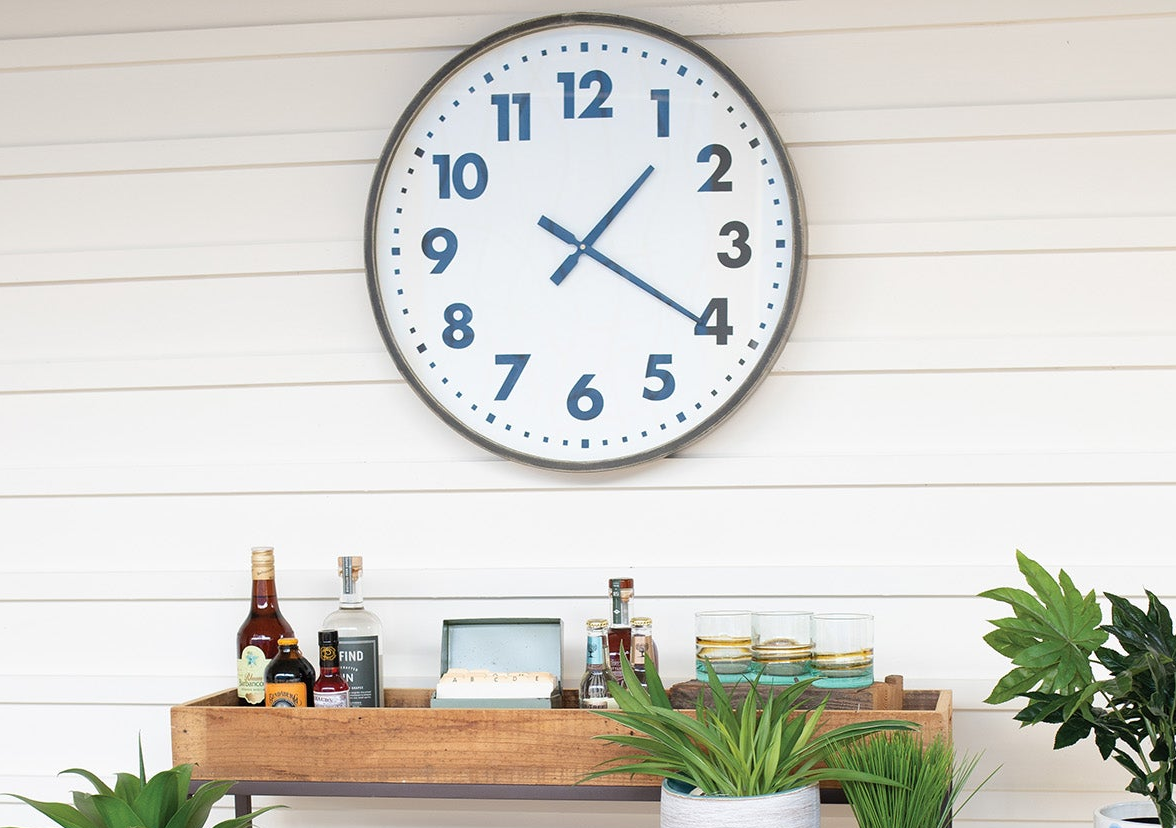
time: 1:20
